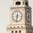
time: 12:32
